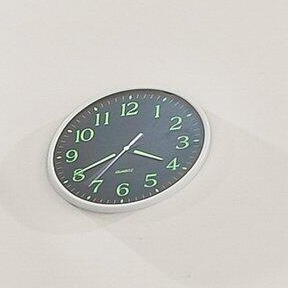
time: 3:40
